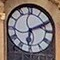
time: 6:10
